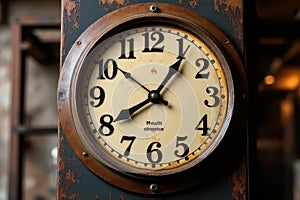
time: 8:06
